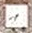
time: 6:41
